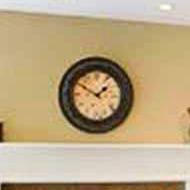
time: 1:50
